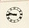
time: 9:45
